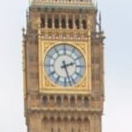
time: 2:27
